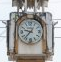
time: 9:37
